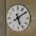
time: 5:09
